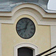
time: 12:41
